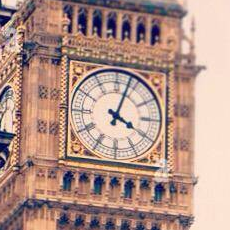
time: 4:03
